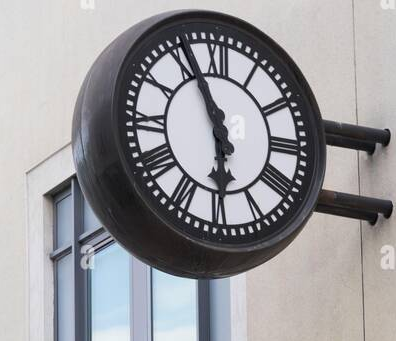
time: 5:55
